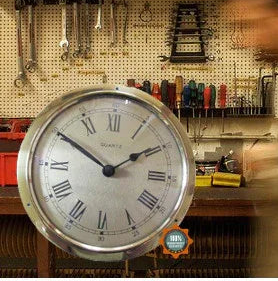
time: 1:50
